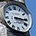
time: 3:16
